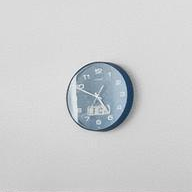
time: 4:49
